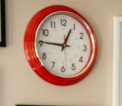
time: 12:45
